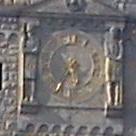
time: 5:35
